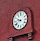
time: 9:41
